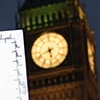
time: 5:41
